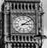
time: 3:09
